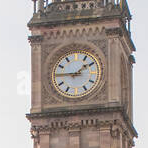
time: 1:45
